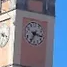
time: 3:34
